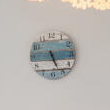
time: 5:26
